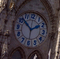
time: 1:52
